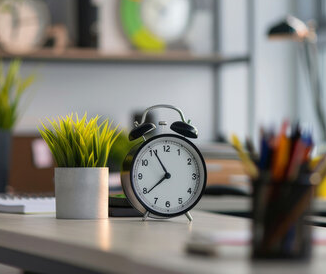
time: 7:55
